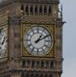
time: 1:10
